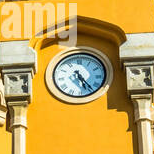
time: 5:23
